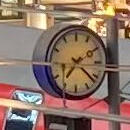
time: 7:21
